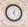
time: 5:03
